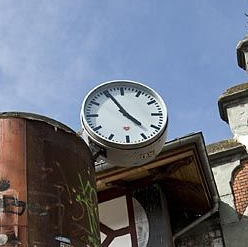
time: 4:55
